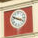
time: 3:48
